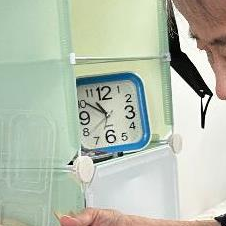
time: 10:50
